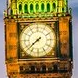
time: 7:37
